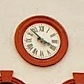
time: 3:52
